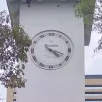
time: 4:18
